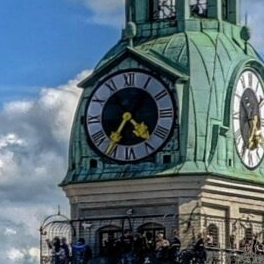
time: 4:35
